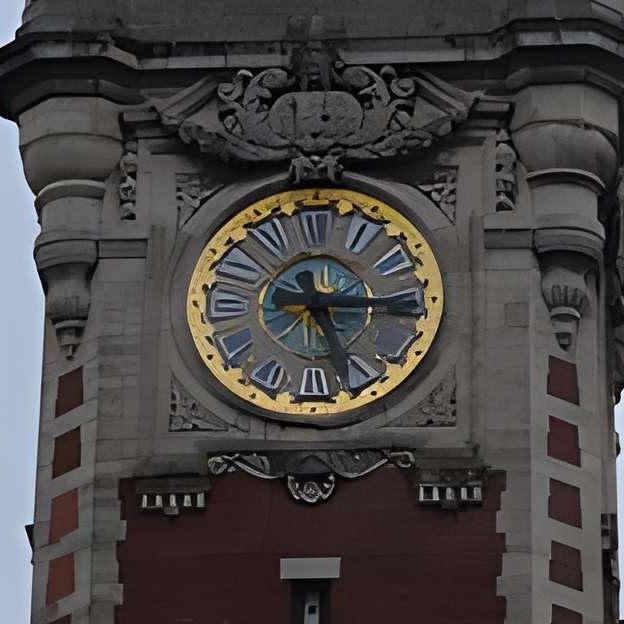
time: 5:15
